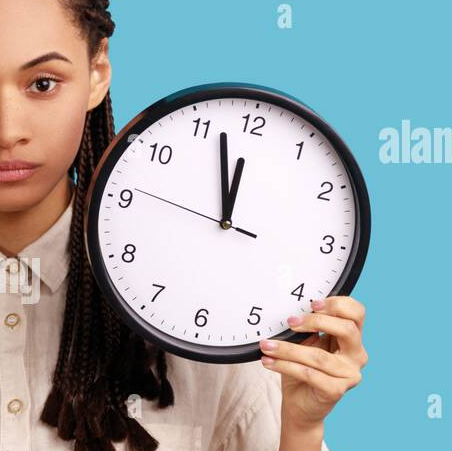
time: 11:56
